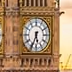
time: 5:34
